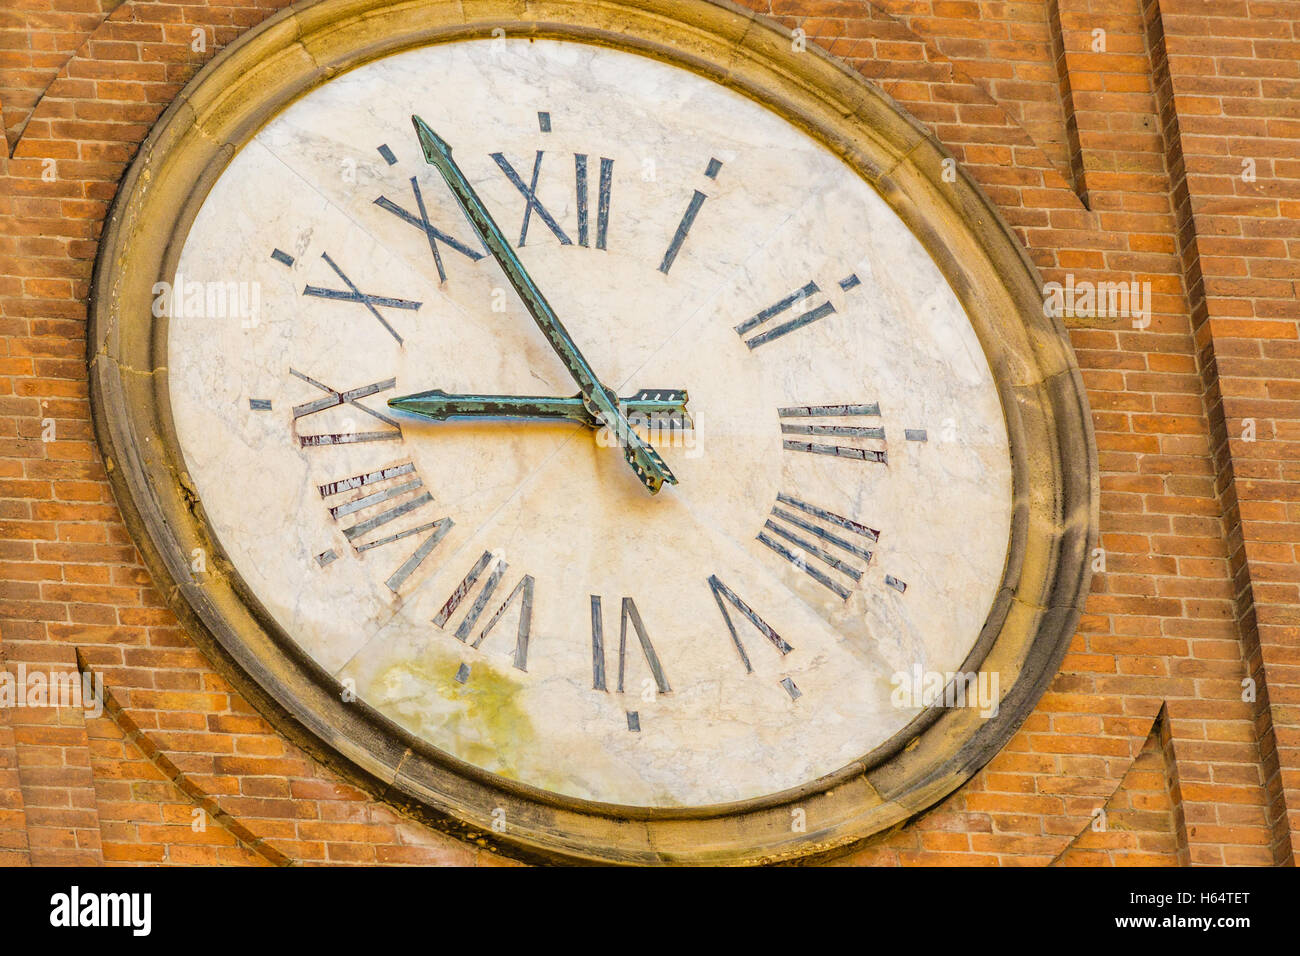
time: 8:56
